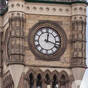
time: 12:18
